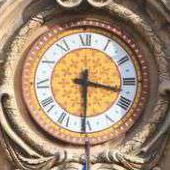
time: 3:30
